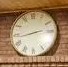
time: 2:43
